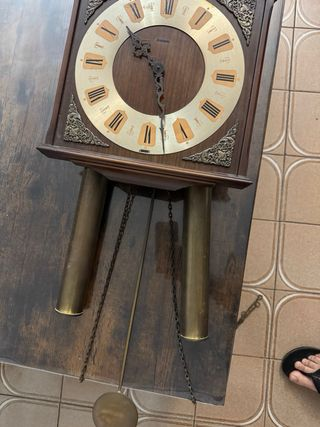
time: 10:28
